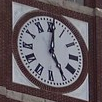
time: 5:00
